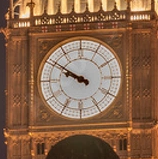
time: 9:50
